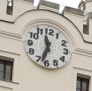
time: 11:32
